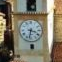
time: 3:32
